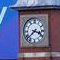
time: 3:38
